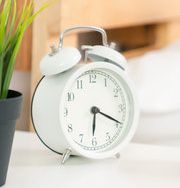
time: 6:19
